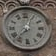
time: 12:37
